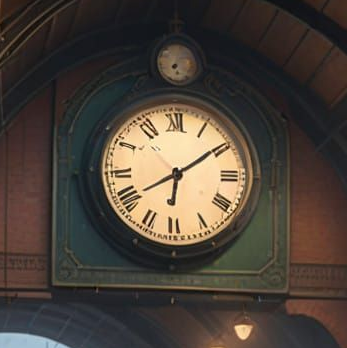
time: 6:09
